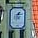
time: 1:12
